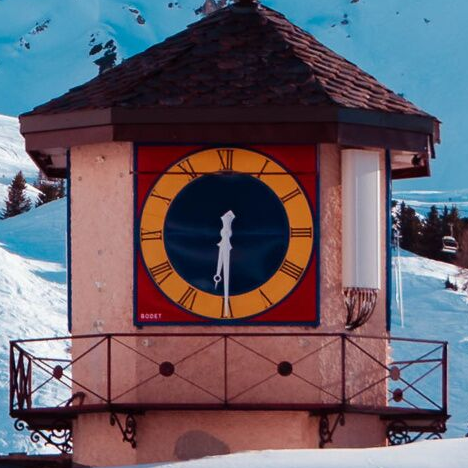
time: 6:29
